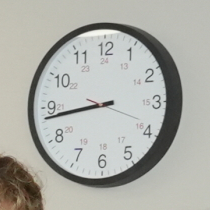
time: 8:43
